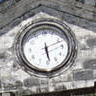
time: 2:28
